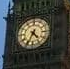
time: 4:34
